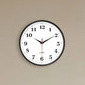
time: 10:09
